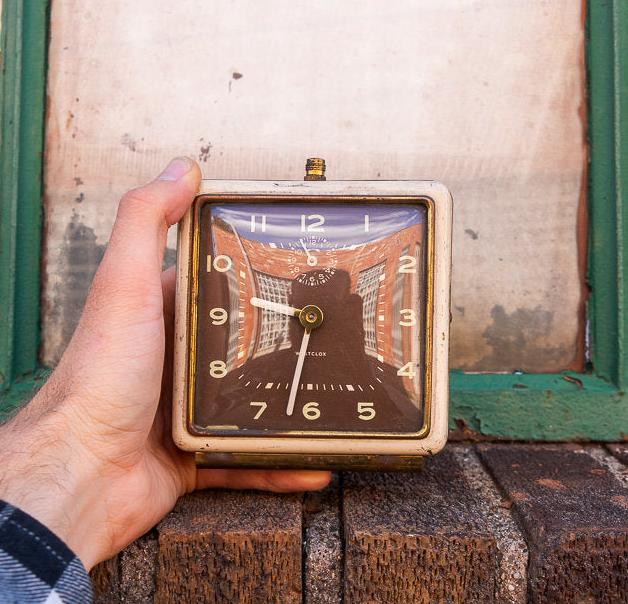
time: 9:32
